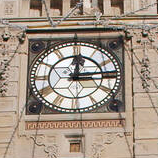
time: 12:14
